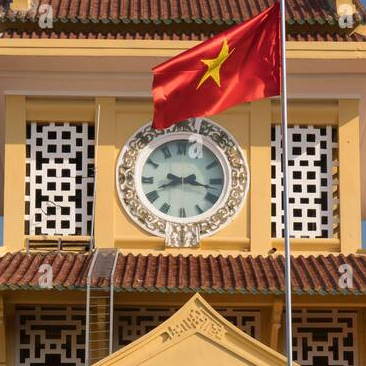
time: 8:17
